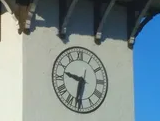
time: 9:32
